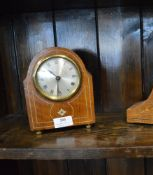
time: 10:31
